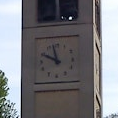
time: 9:57
